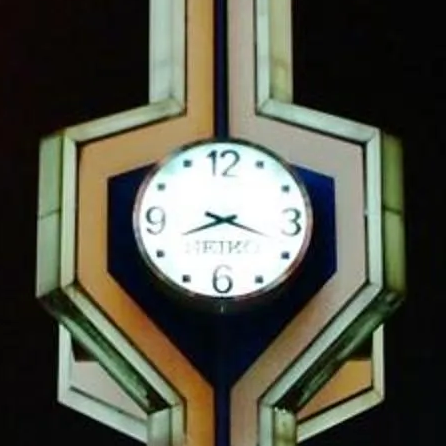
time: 8:18
